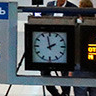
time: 1:58
